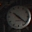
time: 10:21
